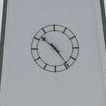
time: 10:24
